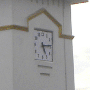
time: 5:14
